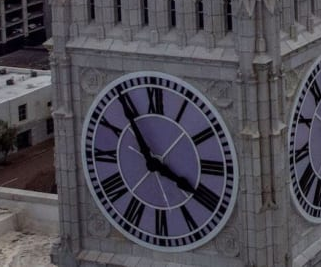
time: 3:54
